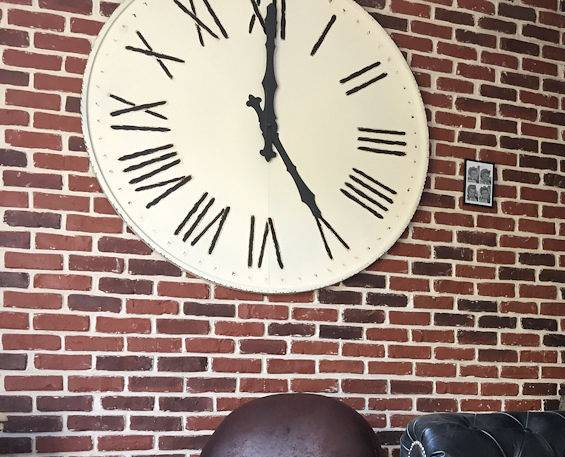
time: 5:00
